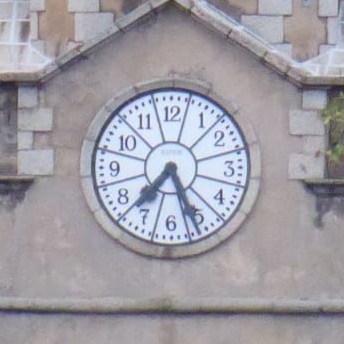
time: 7:26
